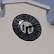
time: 6:12
